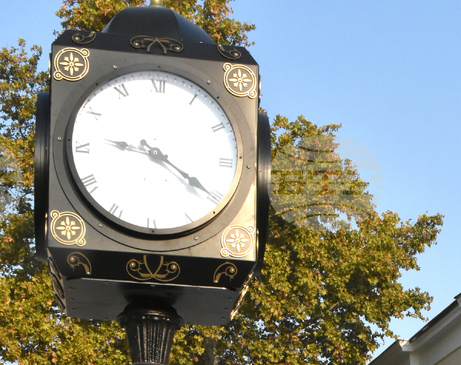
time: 9:20
